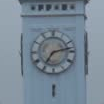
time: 7:13
